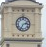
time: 2:34
